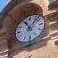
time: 11:07
